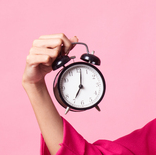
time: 7:01
